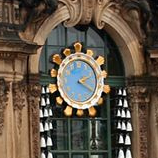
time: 2:19
